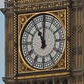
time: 11:00
